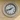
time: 1:42
